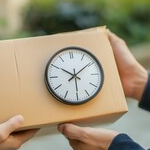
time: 10:09
